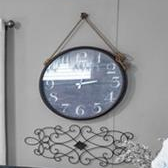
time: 2:45
